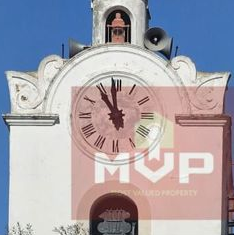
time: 10:58
